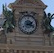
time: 2:18
